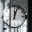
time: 12:03
